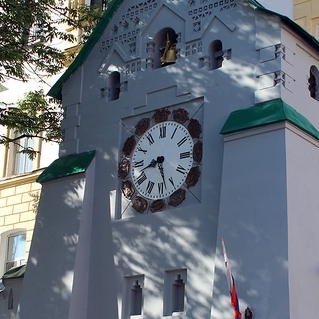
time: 8:27
